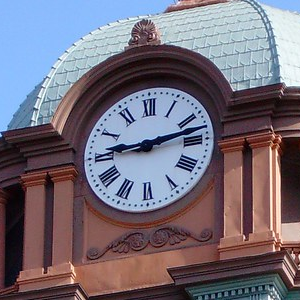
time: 9:12
